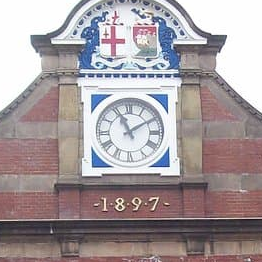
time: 11:09
